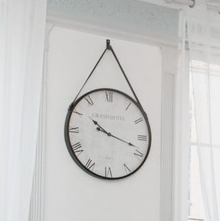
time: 10:18
